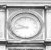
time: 9:42
